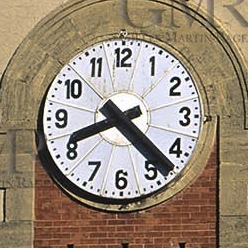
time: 8:22
